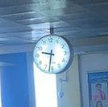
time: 9:32
